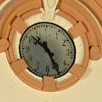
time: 10:25
